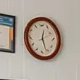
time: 12:26
